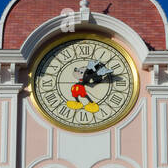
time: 1:12
